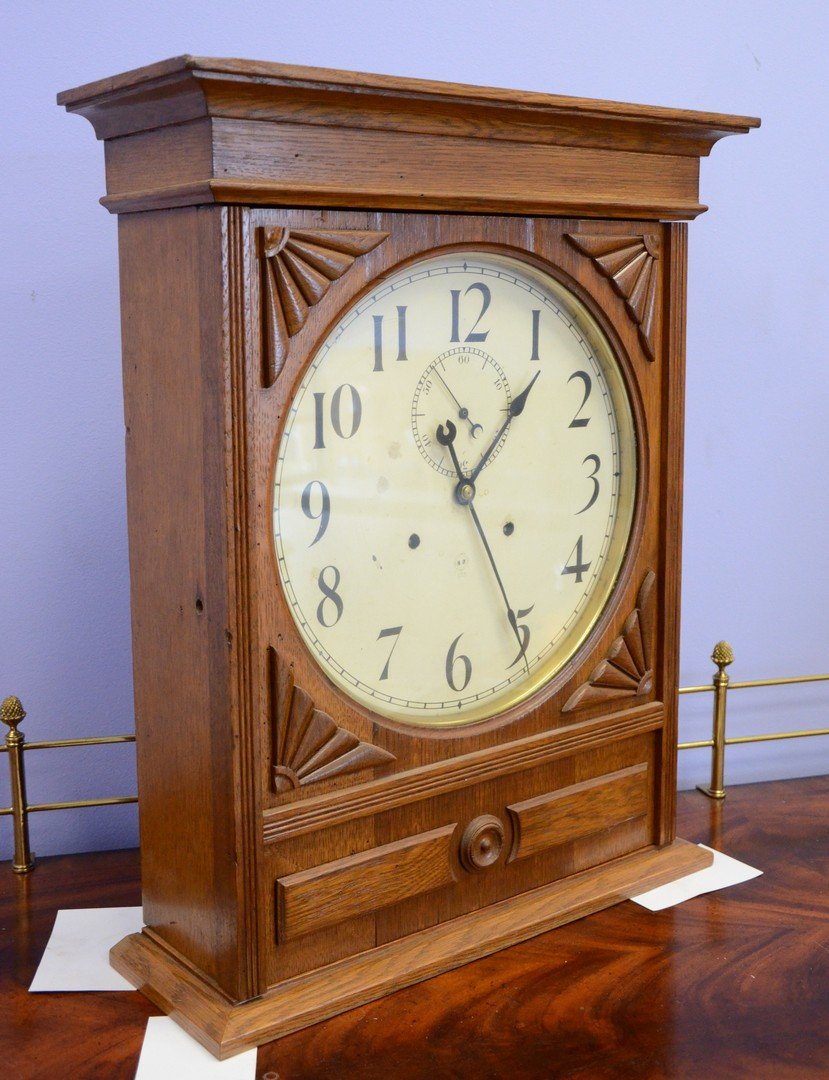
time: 1:25
